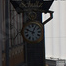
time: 12:48
